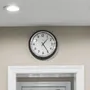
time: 1:24
